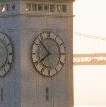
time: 7:52
